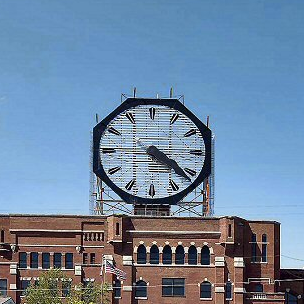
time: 4:21
